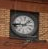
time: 1:43
